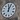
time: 12:04
